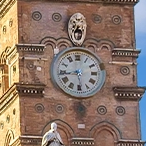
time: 5:43
